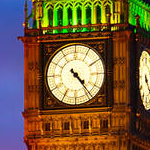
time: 4:23
